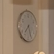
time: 7:25
